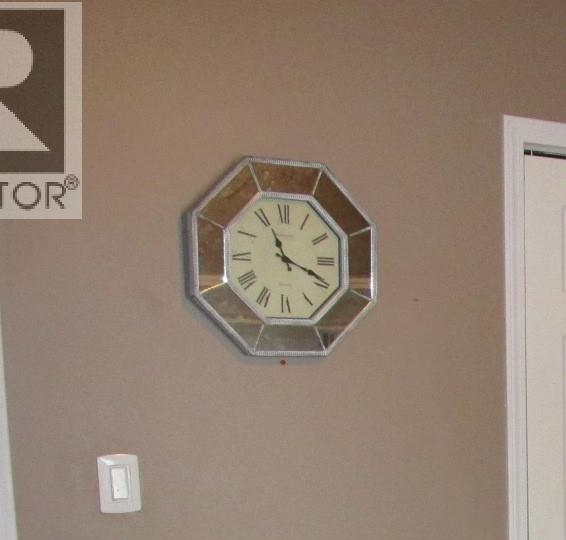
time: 11:18
